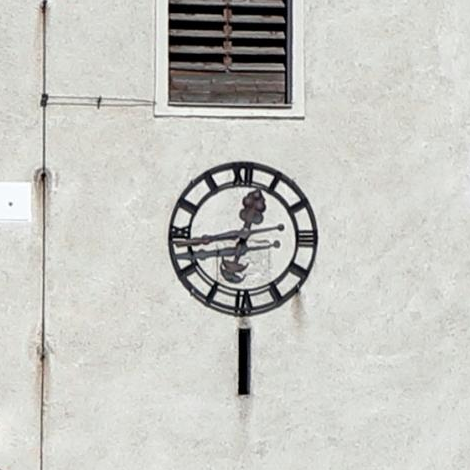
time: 12:43
